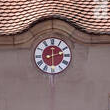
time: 12:12
